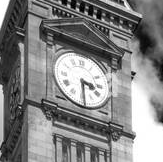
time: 3:29
